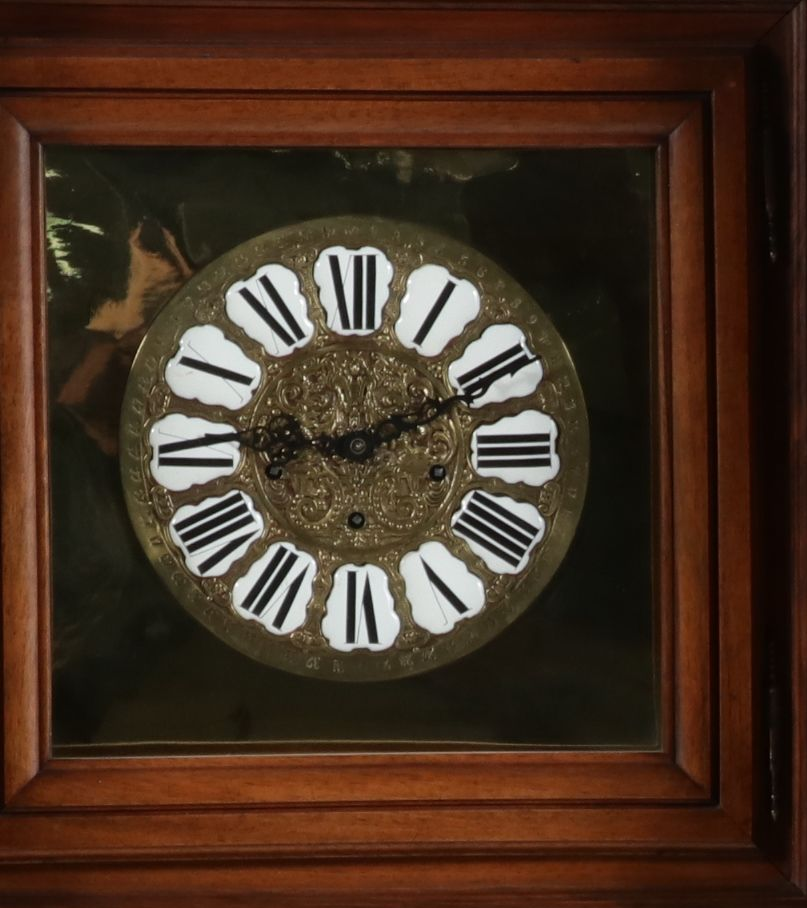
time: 9:10
